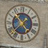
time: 1:37
